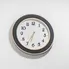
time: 6:34
